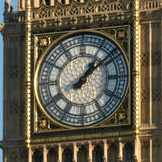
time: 1:08
